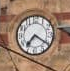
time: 7:20
